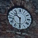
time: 10:30
